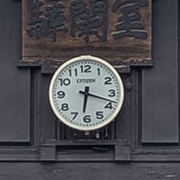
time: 6:18
